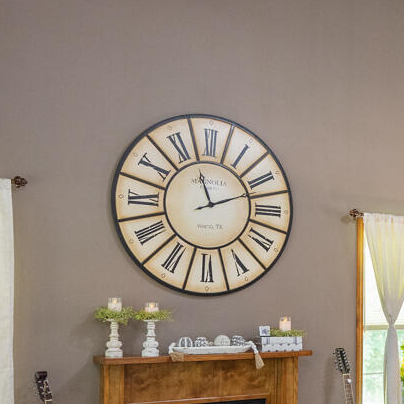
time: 11:11
